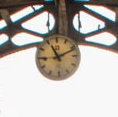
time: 11:11
